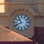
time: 10:41
